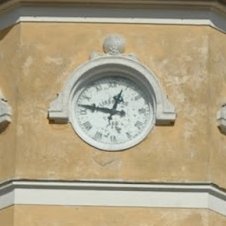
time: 12:47
